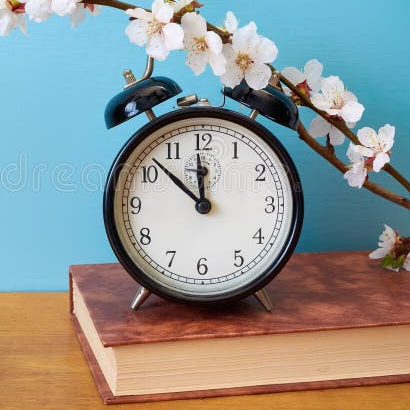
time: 11:52
